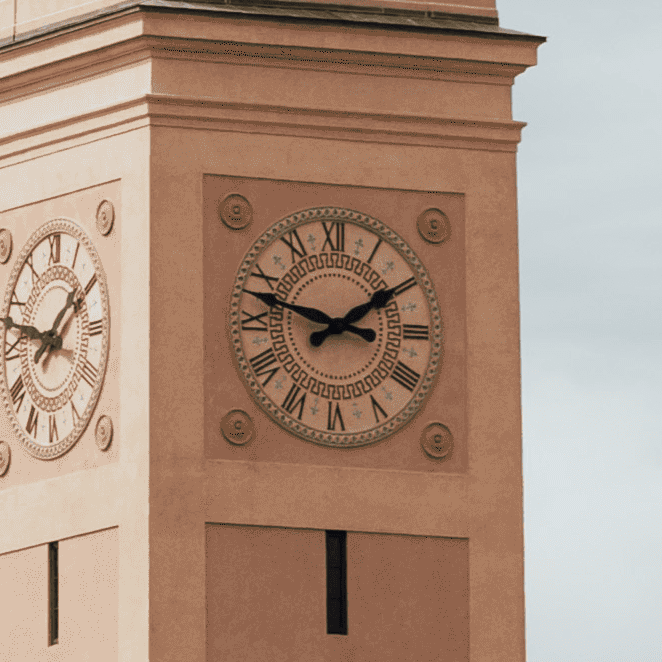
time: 1:47
